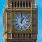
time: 1:00
